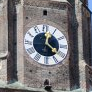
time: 4:02
